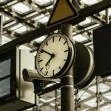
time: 7:51
